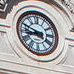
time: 8:49
